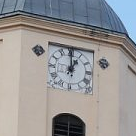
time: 12:59
